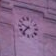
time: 9:37
